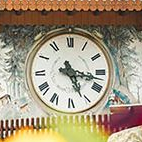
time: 5:17
